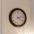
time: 4:12
